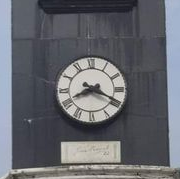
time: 8:19
